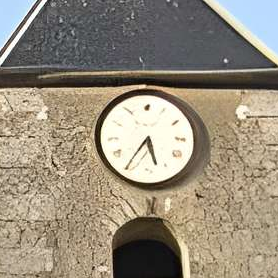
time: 5:35
